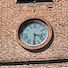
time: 3:29
